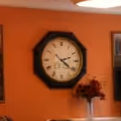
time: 2:21
